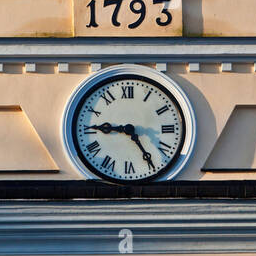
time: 9:24
